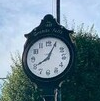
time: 8:04
